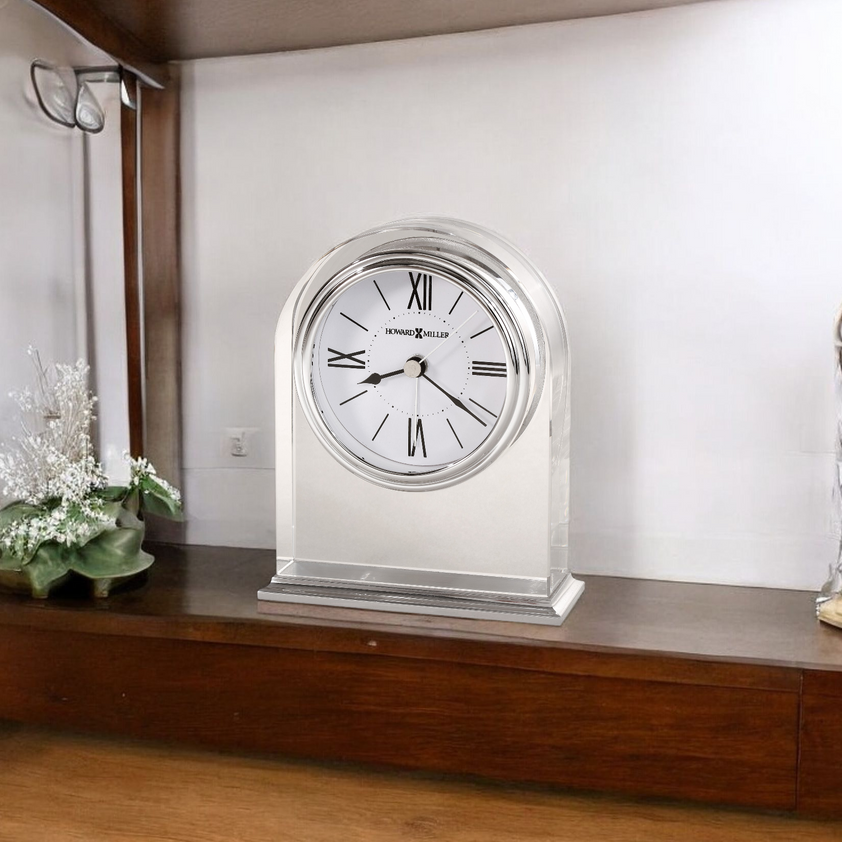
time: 8:21
